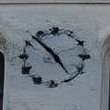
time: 4:52
